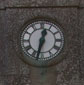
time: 12:32
